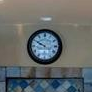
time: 8:49
